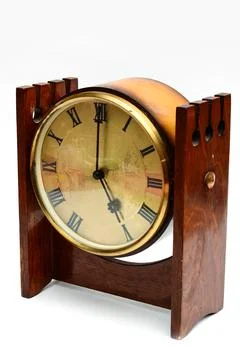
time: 5:00
